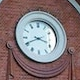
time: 3:40
